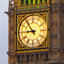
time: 8:53
